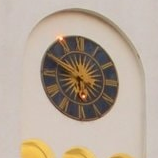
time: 5:49
